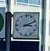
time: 3:11
